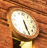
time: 5:26
